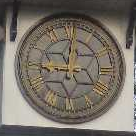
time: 9:01
